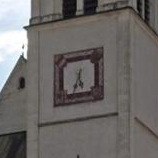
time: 5:33
